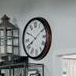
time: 8:09
